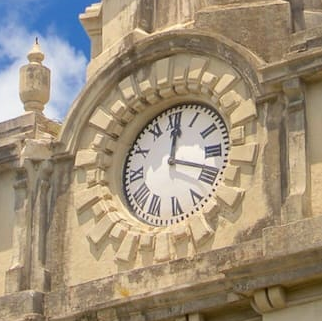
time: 12:18
